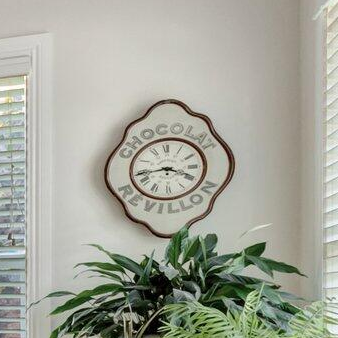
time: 3:43
